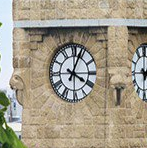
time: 4:04
